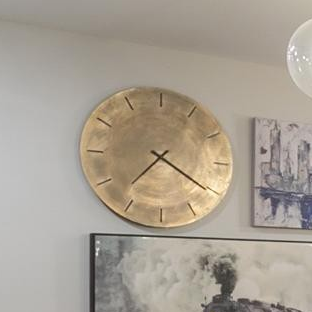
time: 7:20
